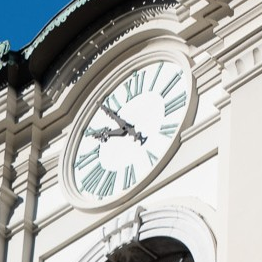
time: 9:53
